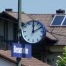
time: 2:00
